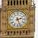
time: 2:26
